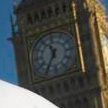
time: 11:35
